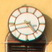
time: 4:42
